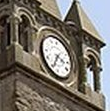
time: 3:34
